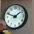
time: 1:48
